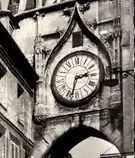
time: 2:32
